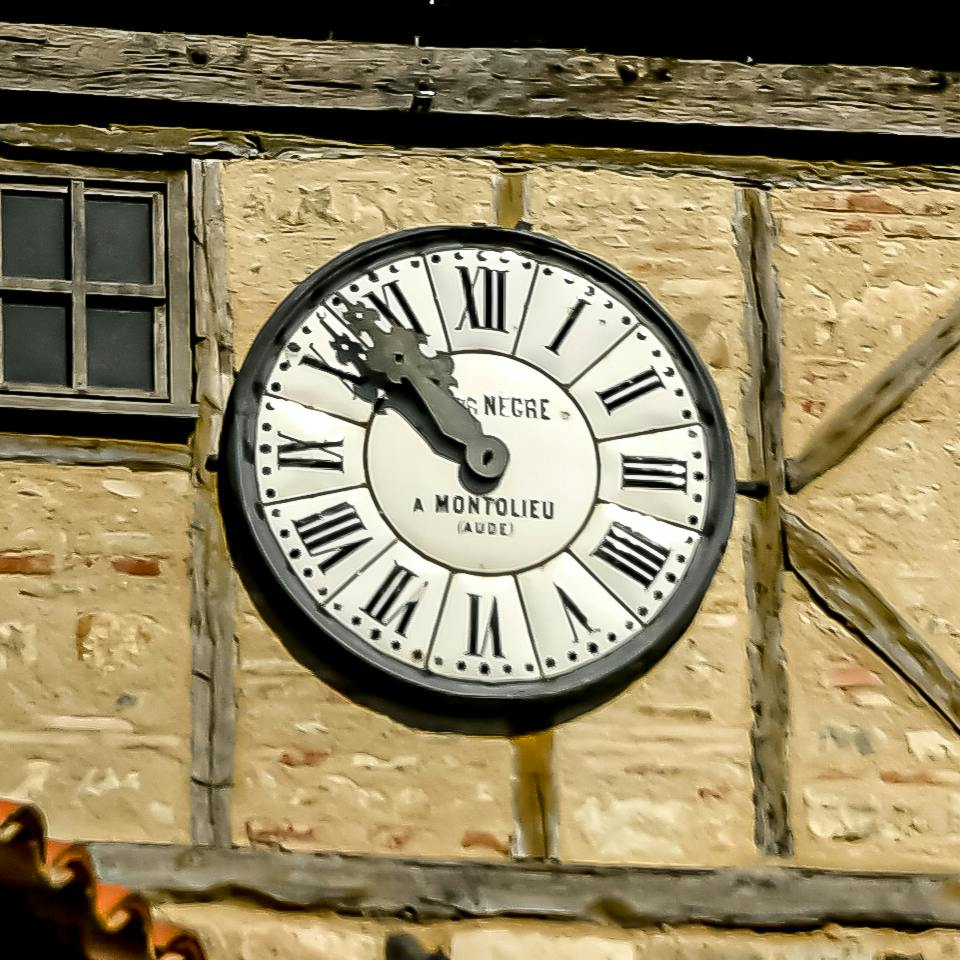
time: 10:51
